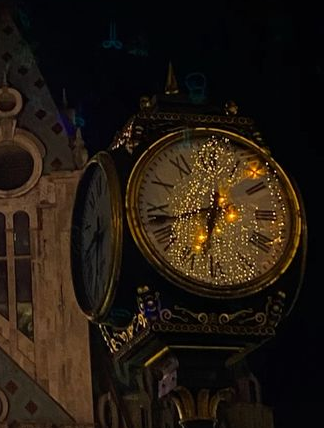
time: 6:43
